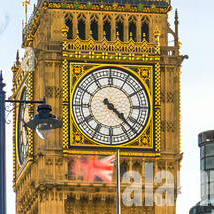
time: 4:22
